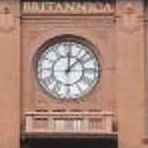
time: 12:07
